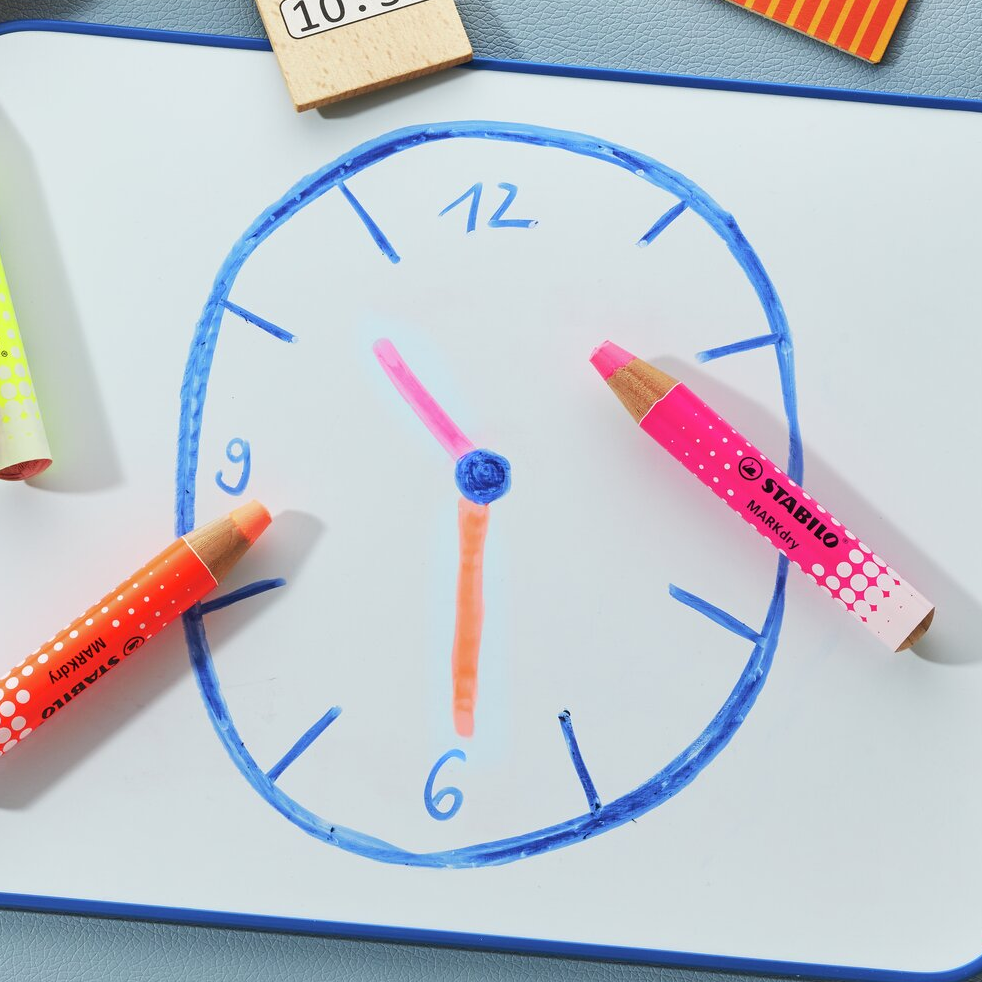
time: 10:29
